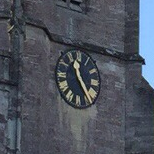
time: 11:24
